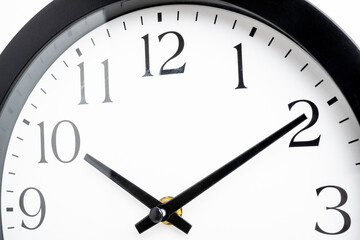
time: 10:09
